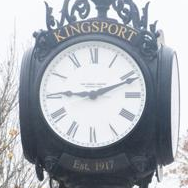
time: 9:11
